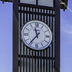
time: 11:36
